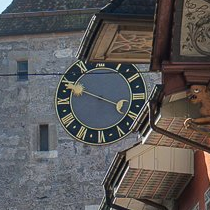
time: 3:48
